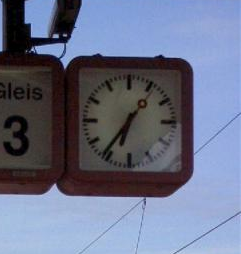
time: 6:36
